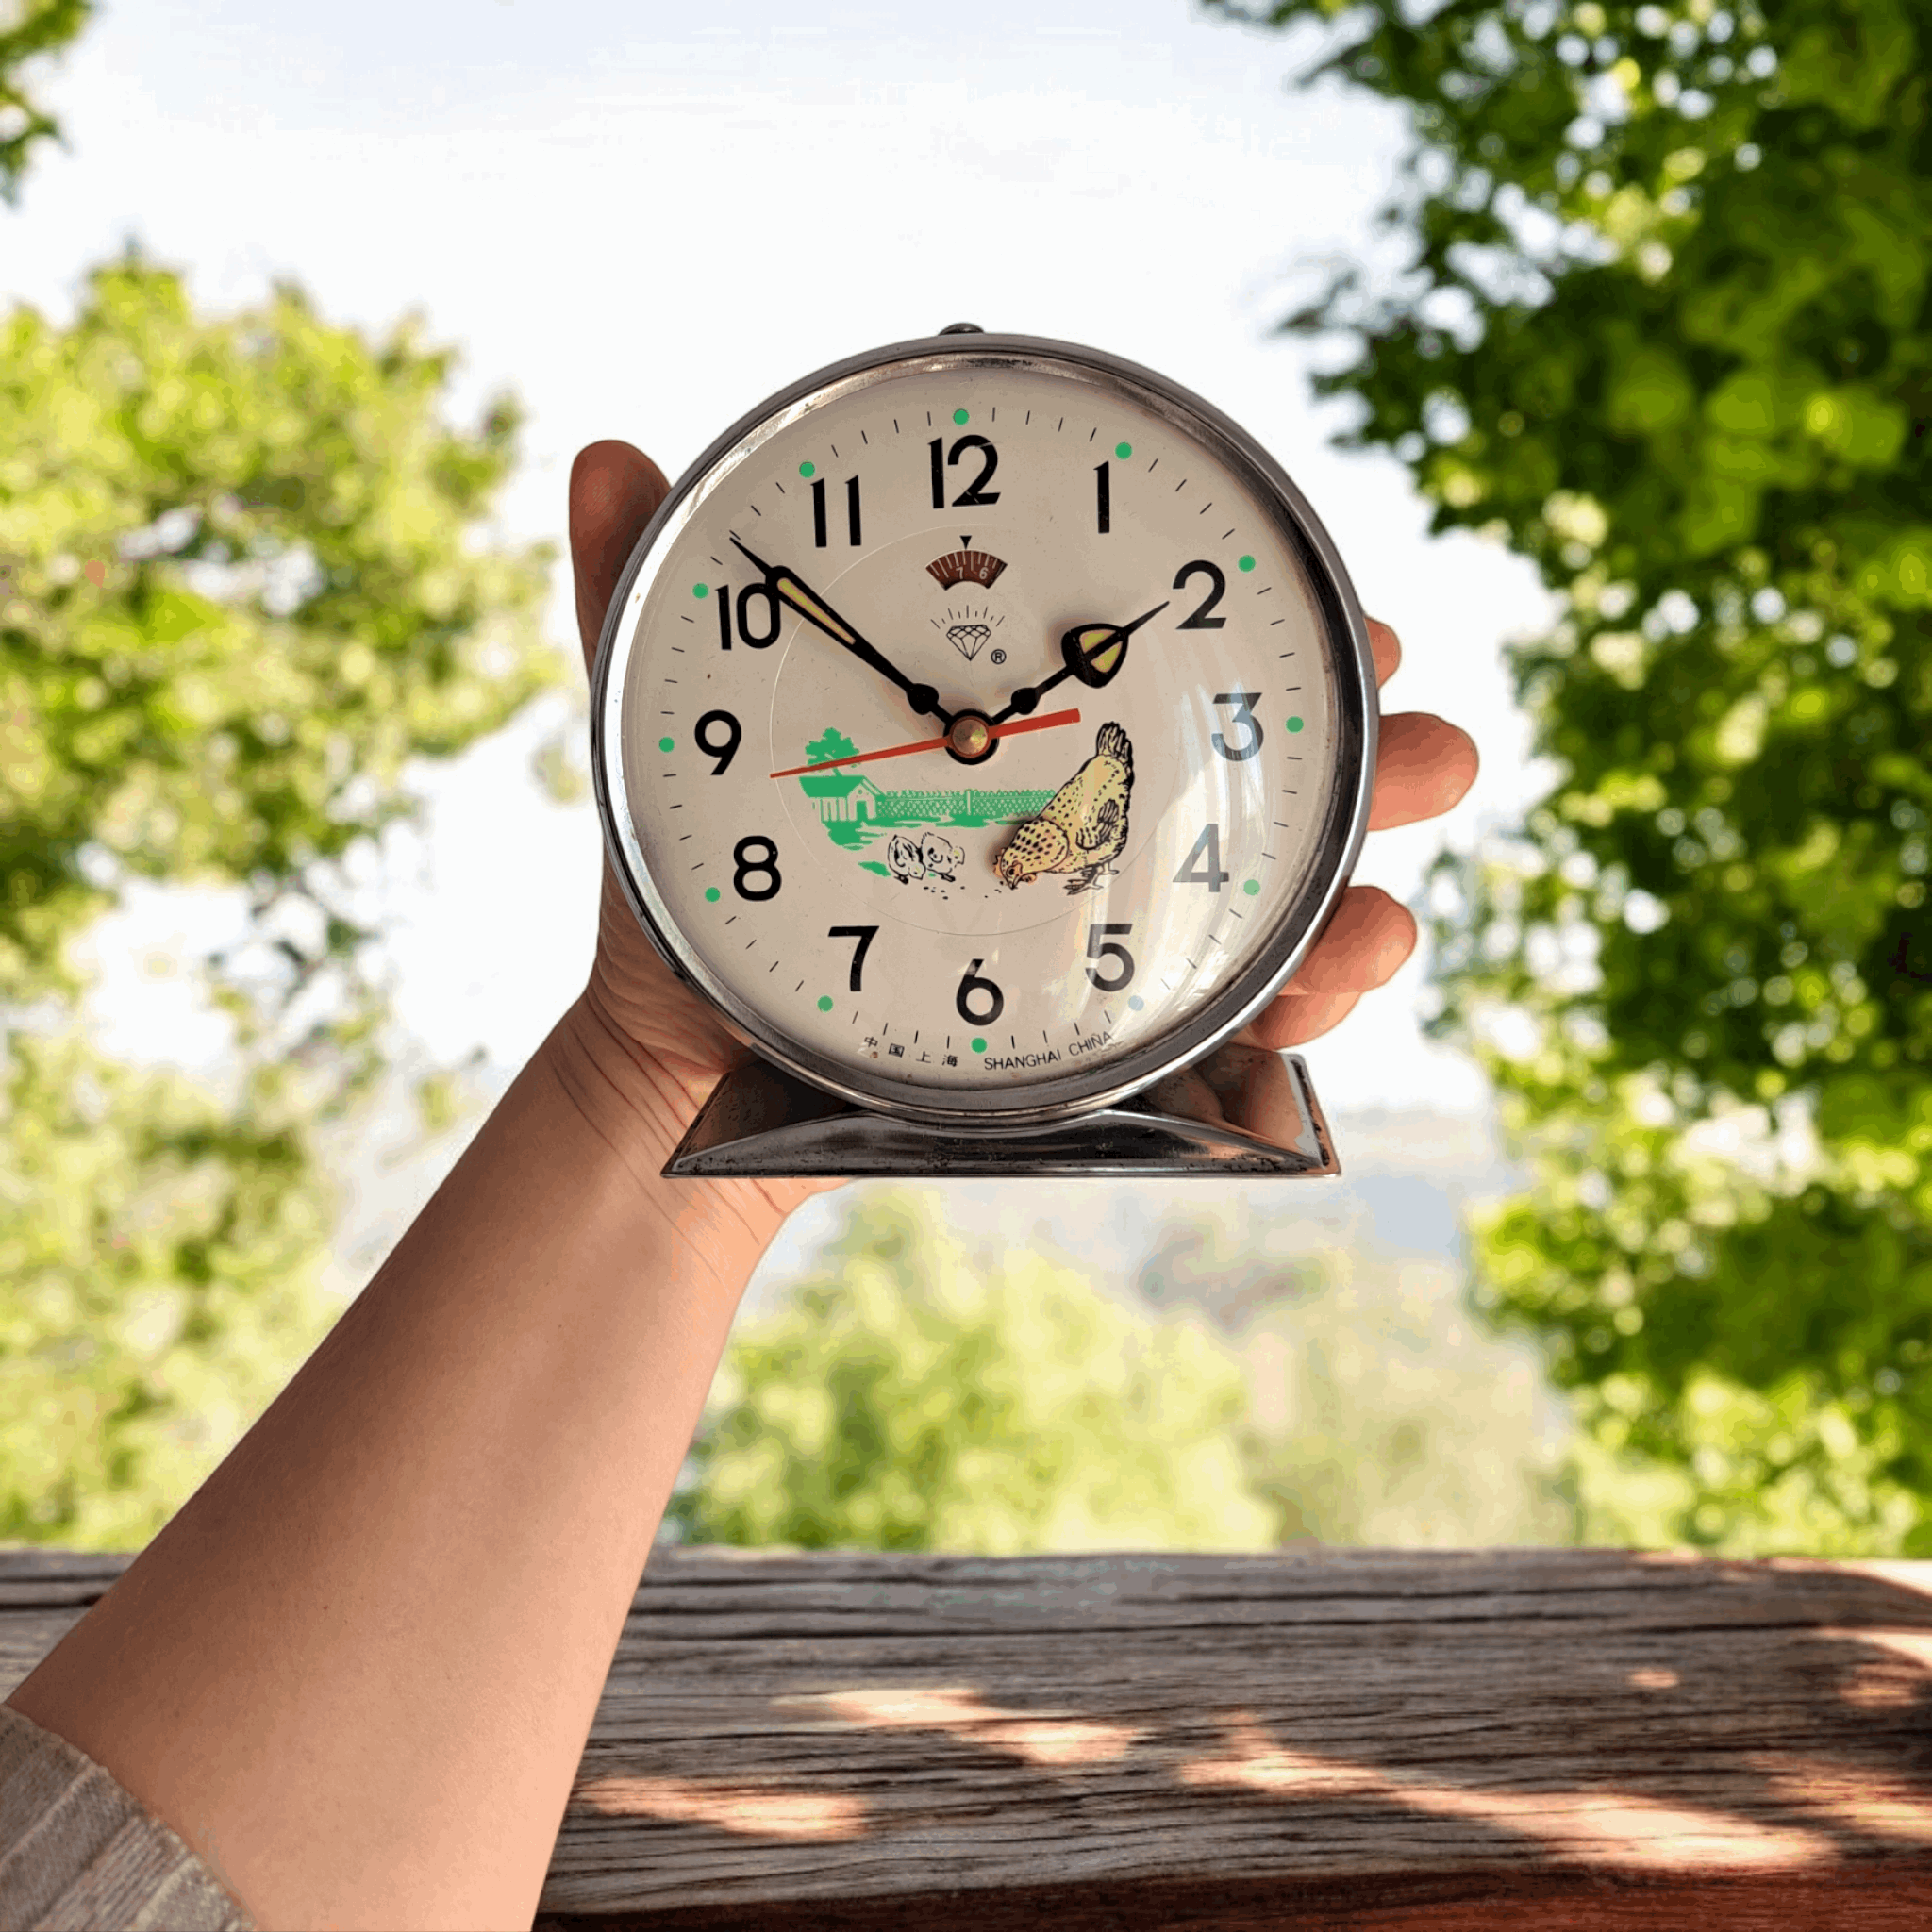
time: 1:51
